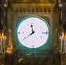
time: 11:39
